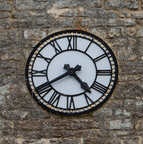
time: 4:40
